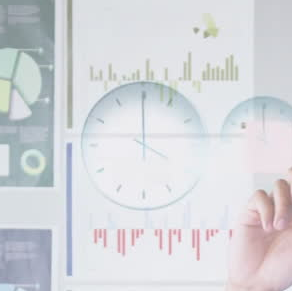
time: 4:00
